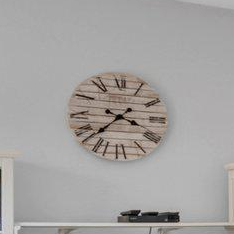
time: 3:37
